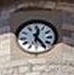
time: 12:23
